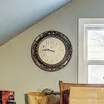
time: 9:45
